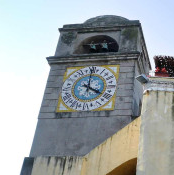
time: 4:01
